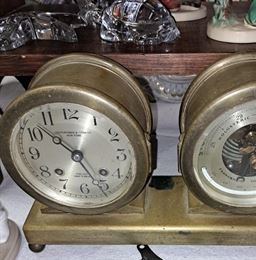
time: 10:26
